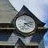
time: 4:12
